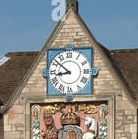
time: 8:51
